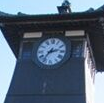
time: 2:36
